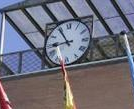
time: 8:54
